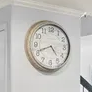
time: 4:41
